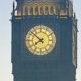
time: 7:52
